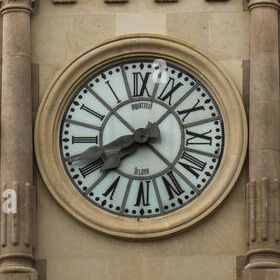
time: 8:07
